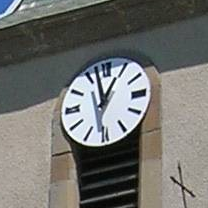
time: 12:57
